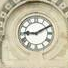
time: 9:10
